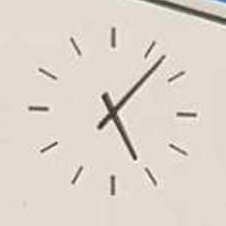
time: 5:07
